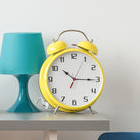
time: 10:15
